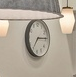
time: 7:14
